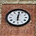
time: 6:01
